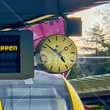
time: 4:52
